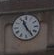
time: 11:24
